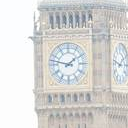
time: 1:47
